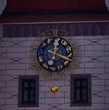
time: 12:18
